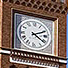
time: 4:10
